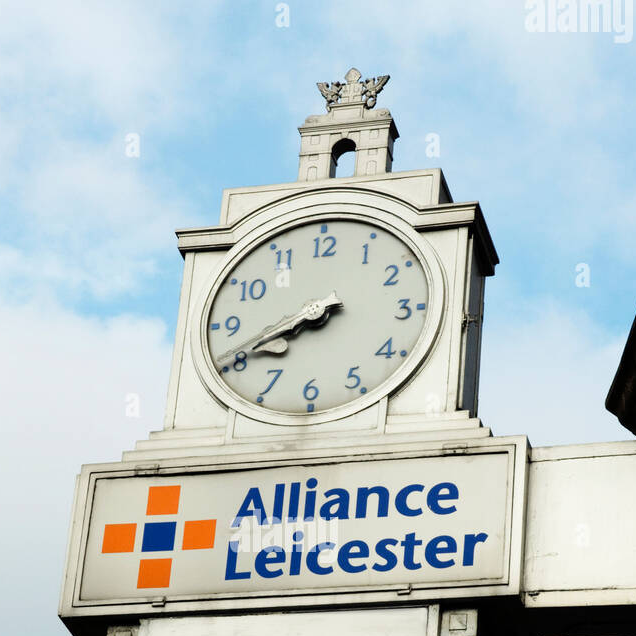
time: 7:40
